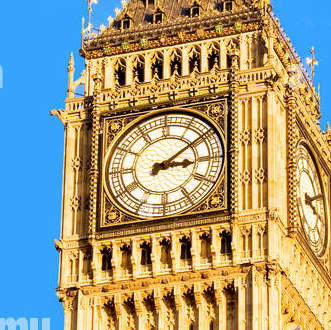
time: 3:09
